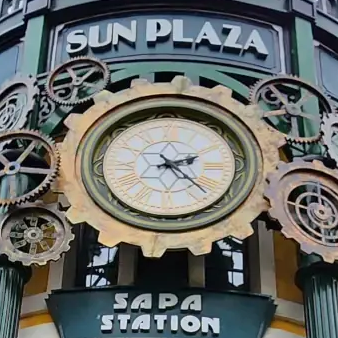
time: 2:22
